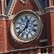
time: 12:37
